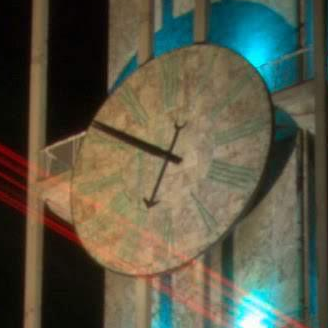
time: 6:48
